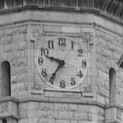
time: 9:35
